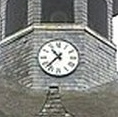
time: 10:37
